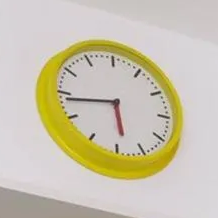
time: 5:43
